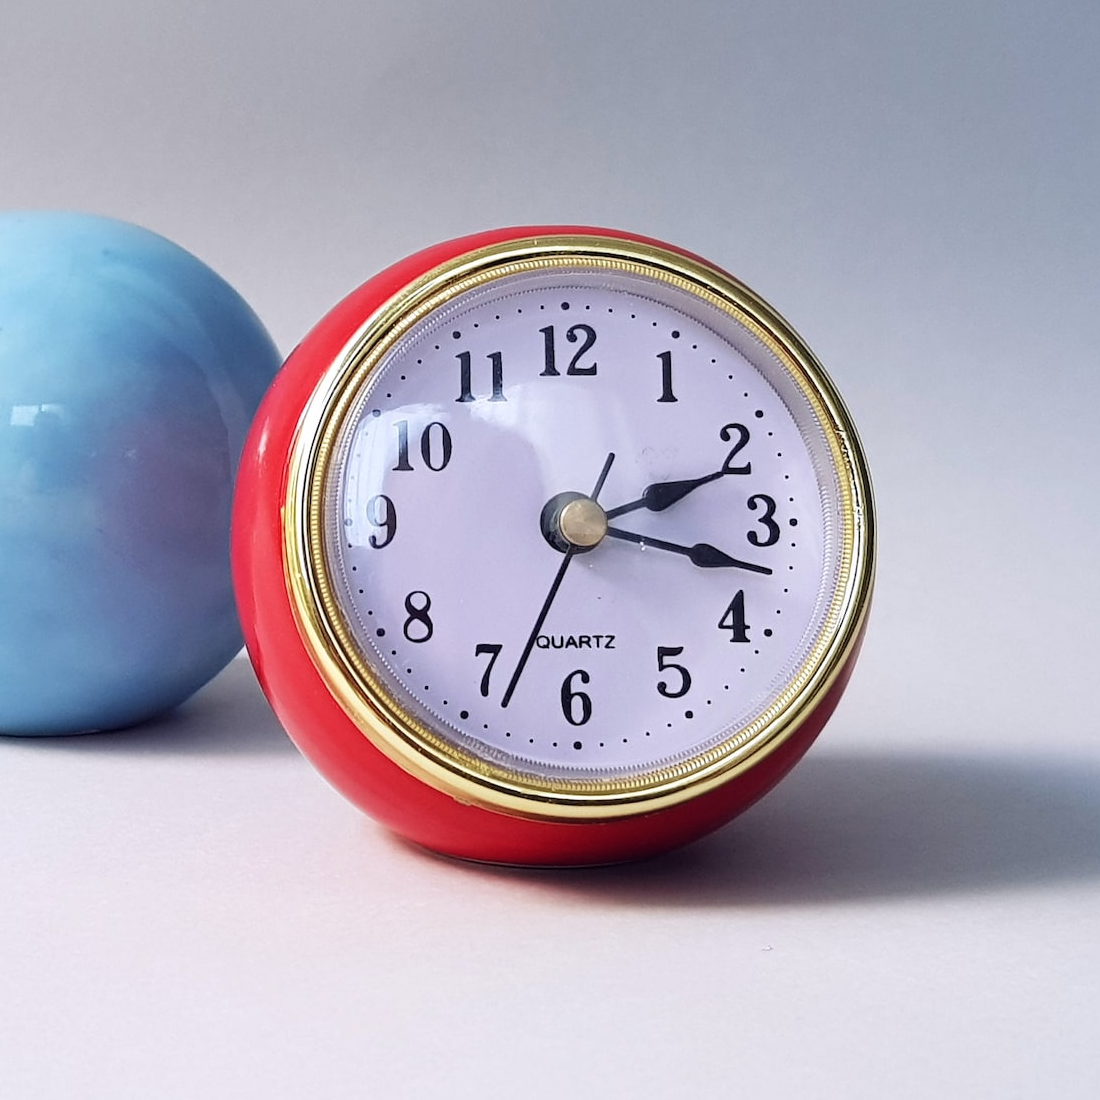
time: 2:17
